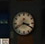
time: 3:40
